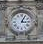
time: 3:04
